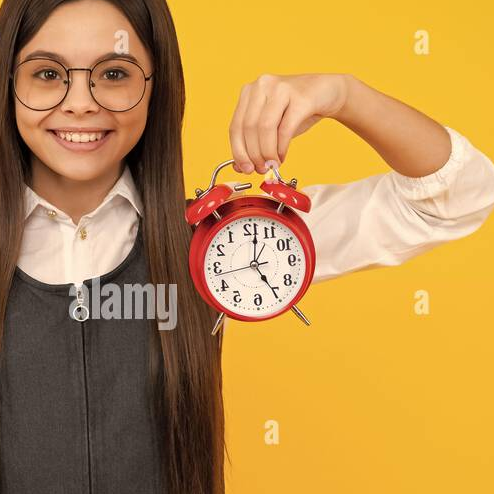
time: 5:01
